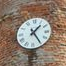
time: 1:24
